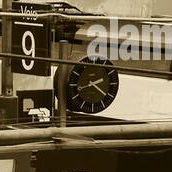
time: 2:21
